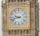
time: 9:42
